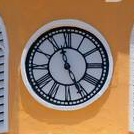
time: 11:25
